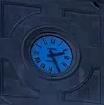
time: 2:25
